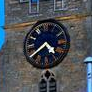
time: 4:39
